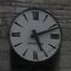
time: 5:11
